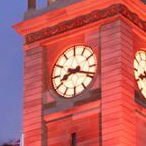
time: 8:18
